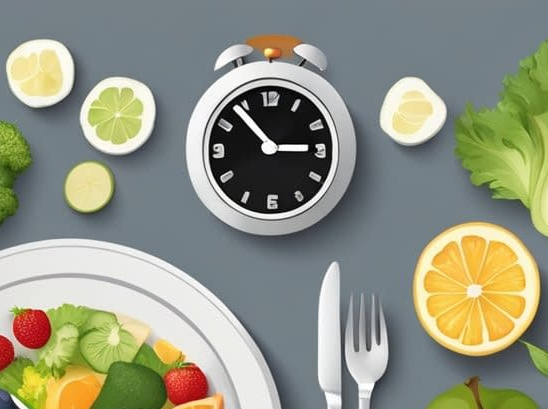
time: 2:53
